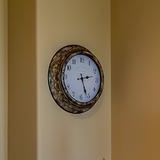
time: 2:26
